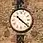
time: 10:21
